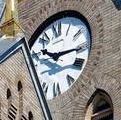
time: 10:15
